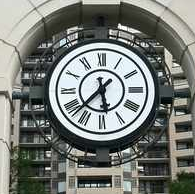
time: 5:37
